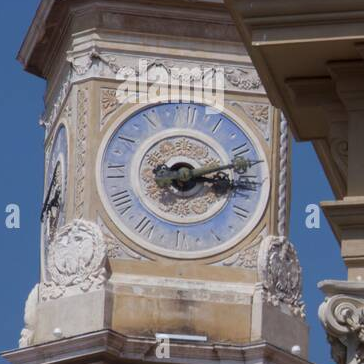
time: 3:12
